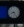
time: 8:24
